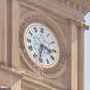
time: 3:32
